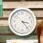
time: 3:23
